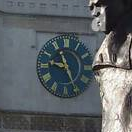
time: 9:26
